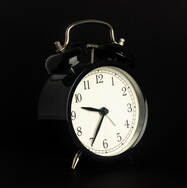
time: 9:34
